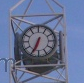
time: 6:34
